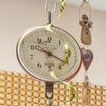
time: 10:20
